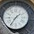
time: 1:35
